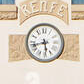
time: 5:42
